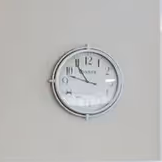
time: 10:47
